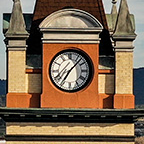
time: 7:07
